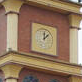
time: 12:07
